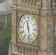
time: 11:28
